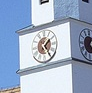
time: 1:24
